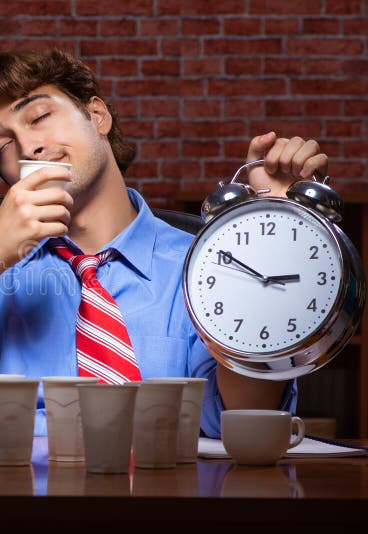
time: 2:50
